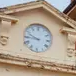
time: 9:45
